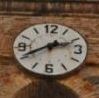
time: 2:40
